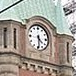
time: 4:29
